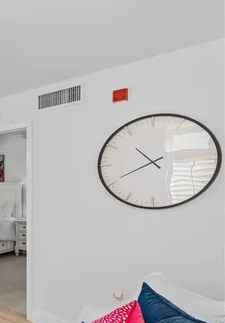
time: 10:40
